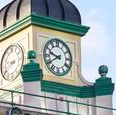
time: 9:40
